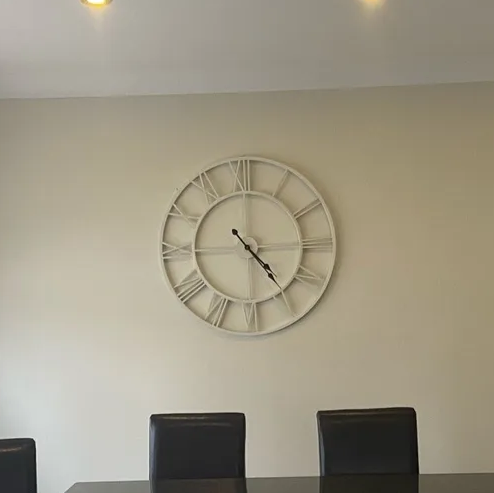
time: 4:23
